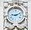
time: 9:11
